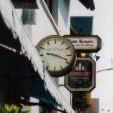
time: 9:18
